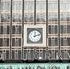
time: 12:12
